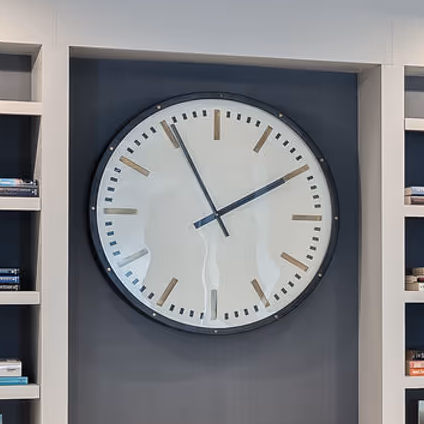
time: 1:55
